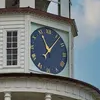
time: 11:06
